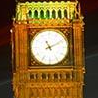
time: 11:10
